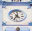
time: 4:35
